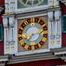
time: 7:12
